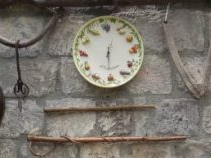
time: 12:30
